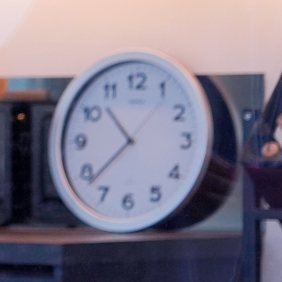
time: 10:37
